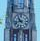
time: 10:42
